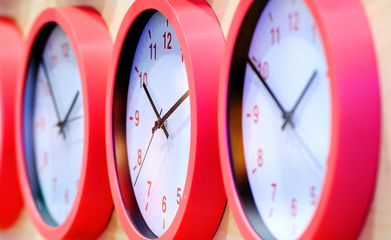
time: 1:49
